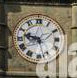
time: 9:27
